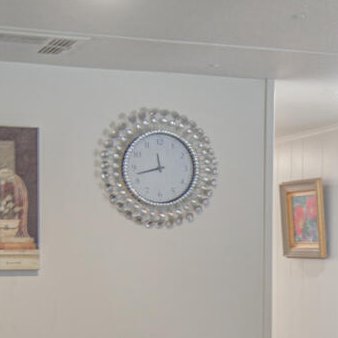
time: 11:42
